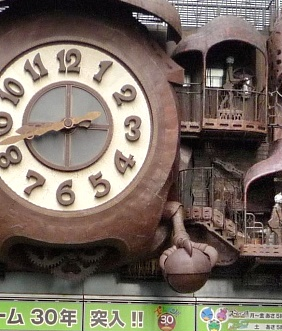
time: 2:42
